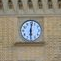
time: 6:01
